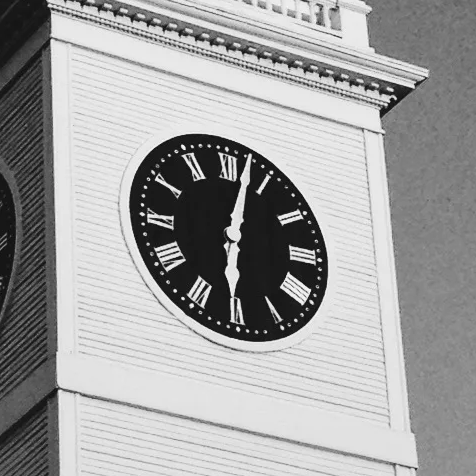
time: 6:02
